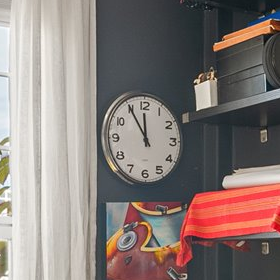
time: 11:54
